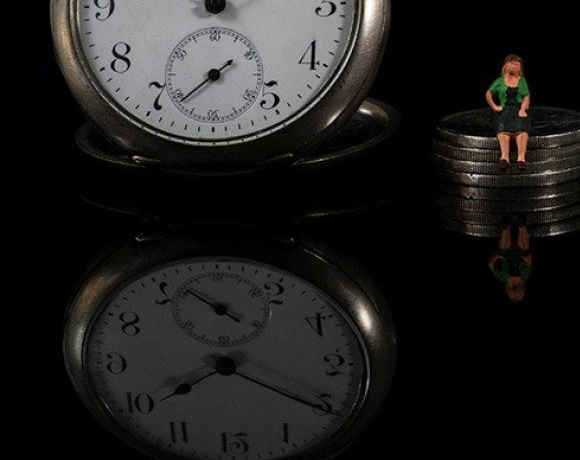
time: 7:55
